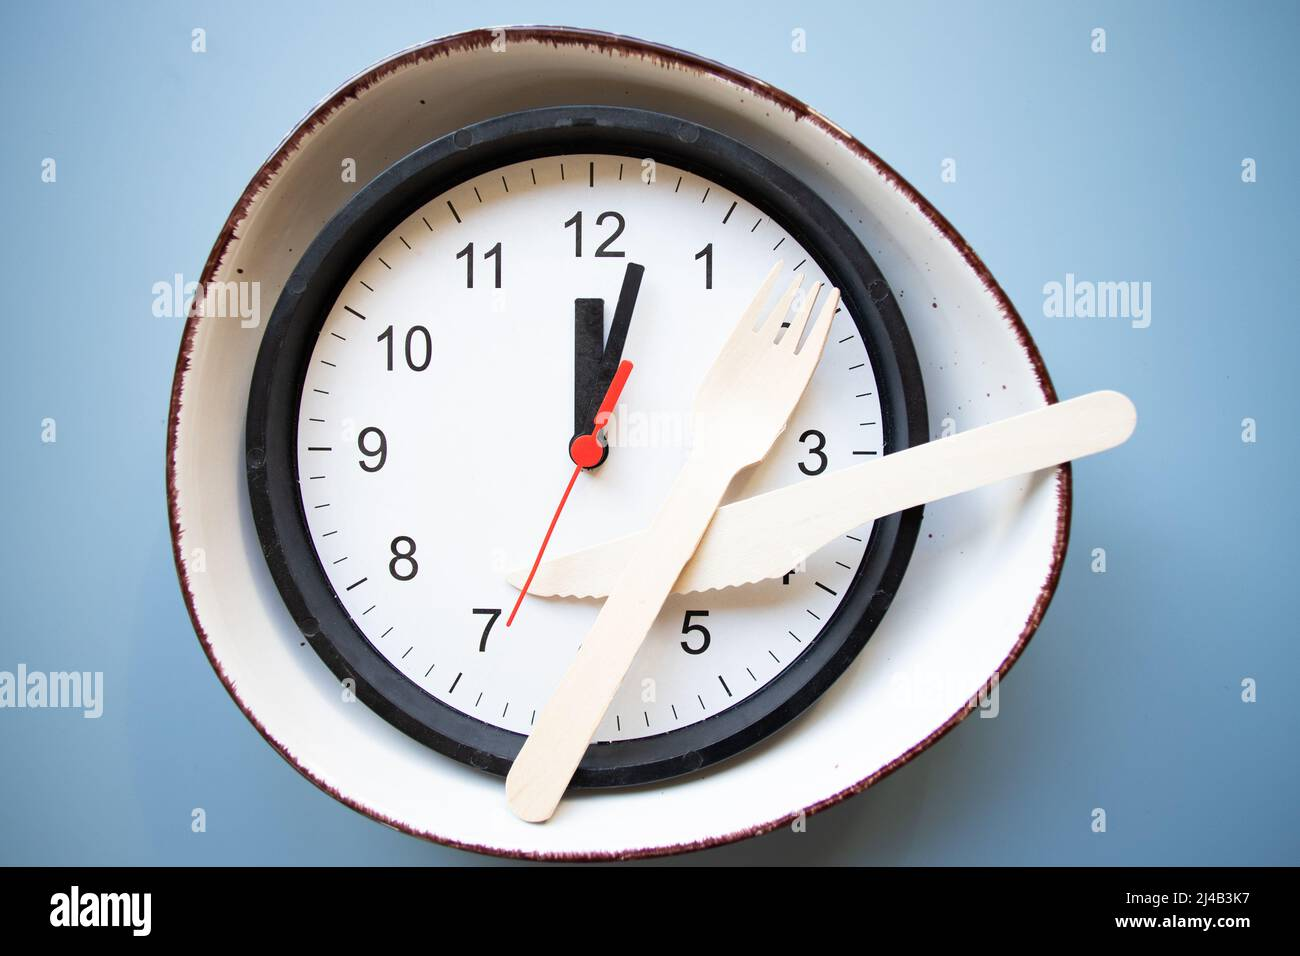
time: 12:02
